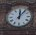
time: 12:06
